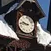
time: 9:44
